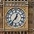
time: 12:36
